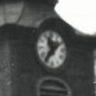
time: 11:36
